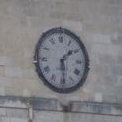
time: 1:29
